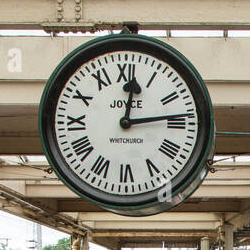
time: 12:13
